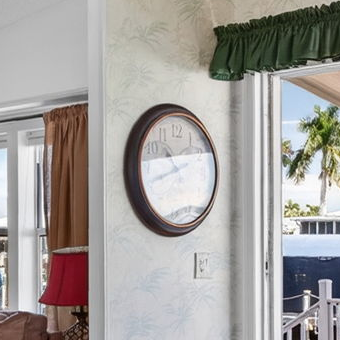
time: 10:41
